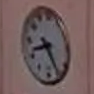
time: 8:24
